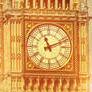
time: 11:11
